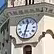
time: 12:32
